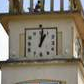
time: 1:01
